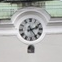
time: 2:24
